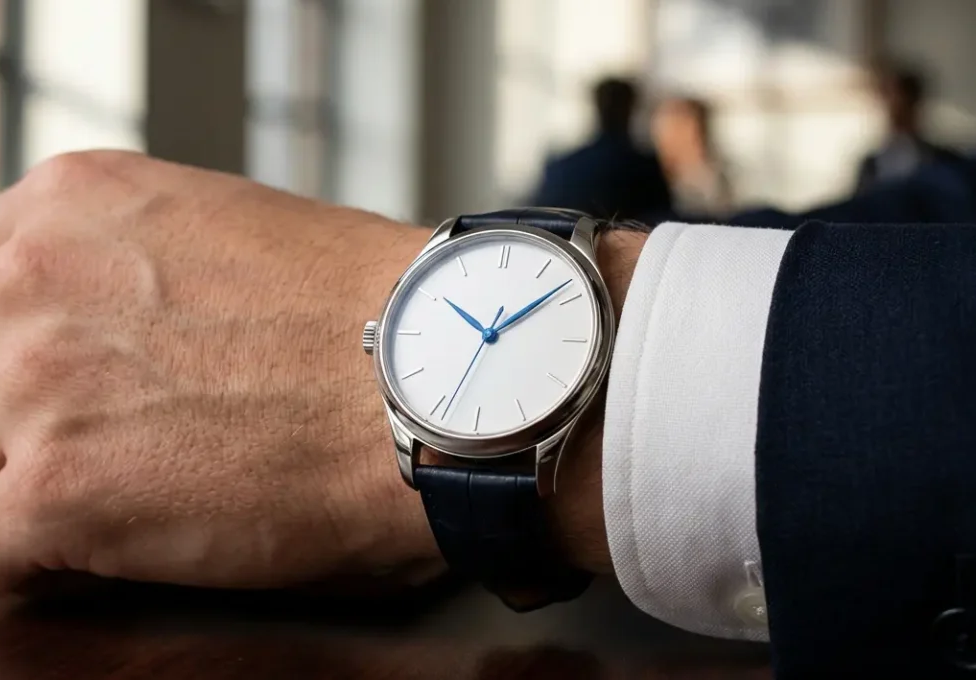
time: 10:08
